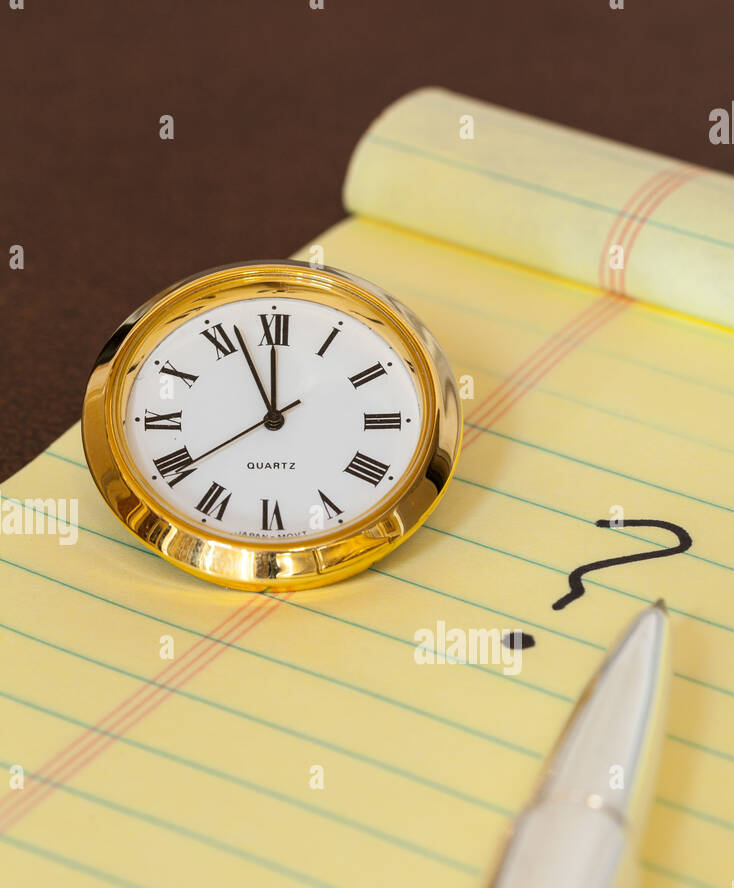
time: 11:56
